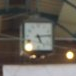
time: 5:13
